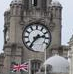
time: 2:36
